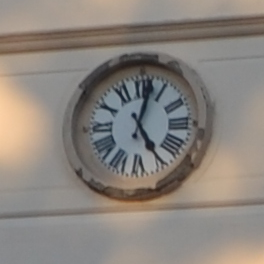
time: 5:02
